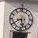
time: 5:40
